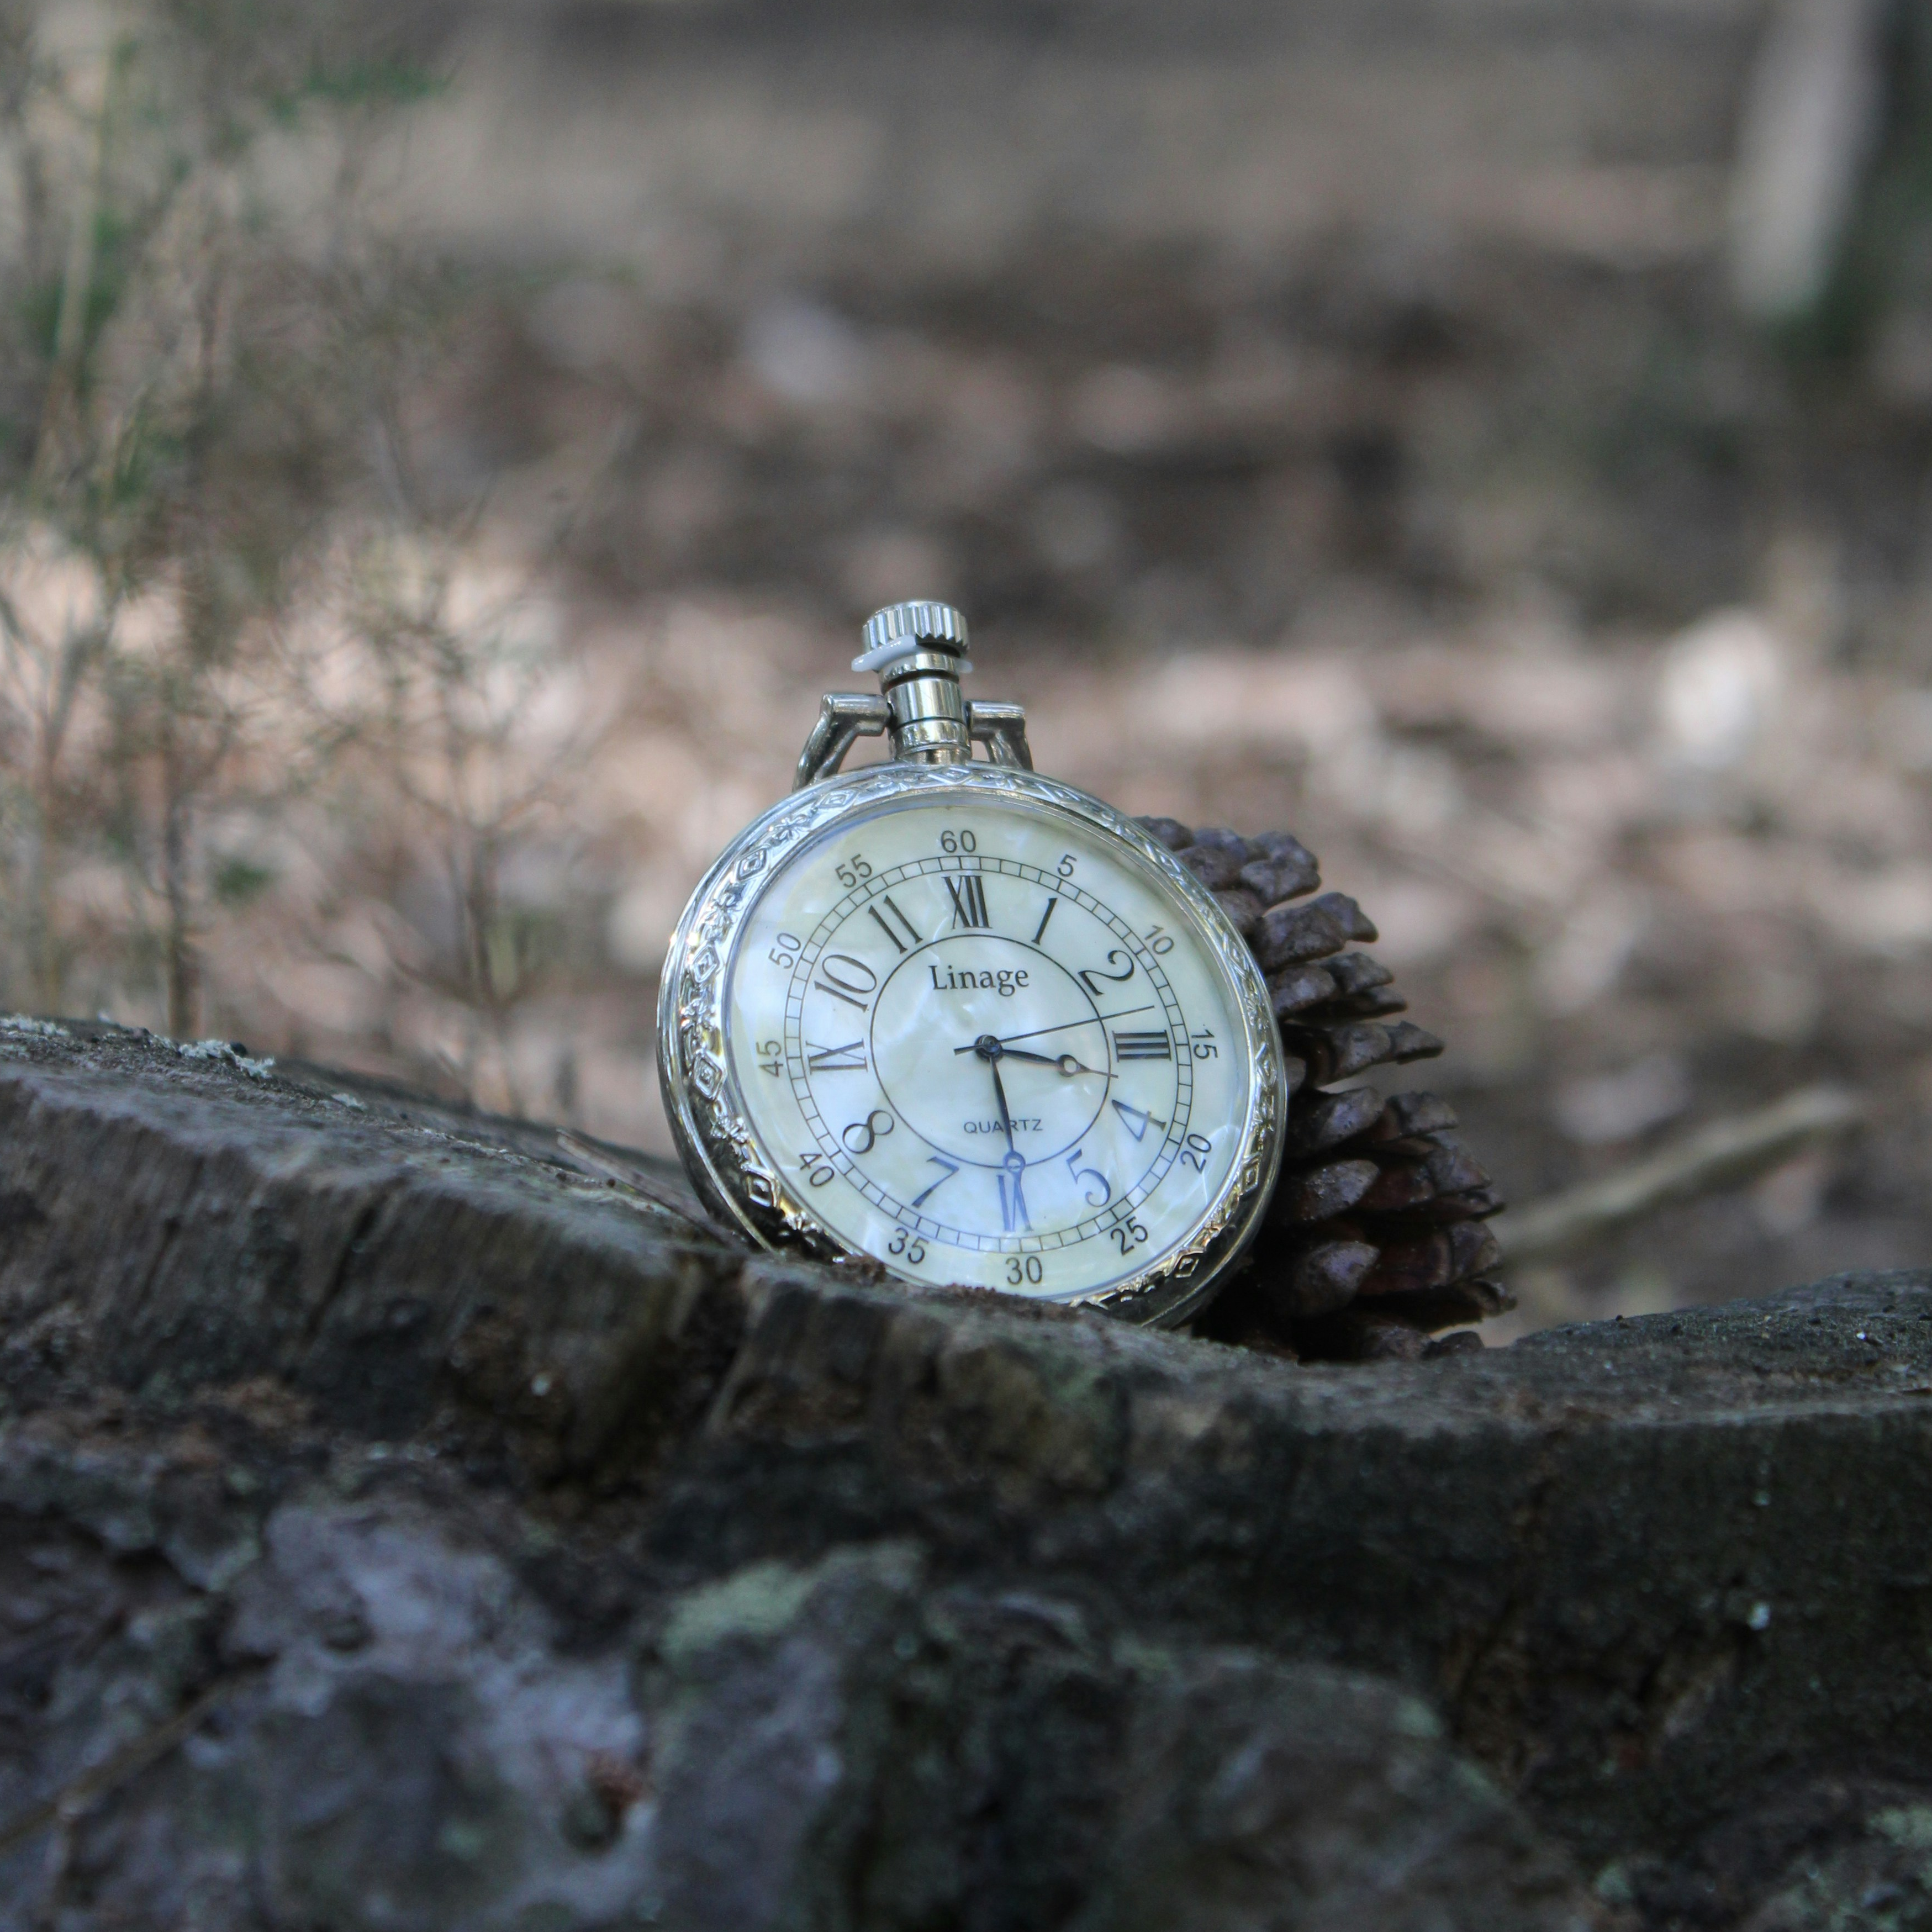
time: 3:29
